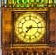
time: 7:15
